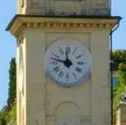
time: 11:47
